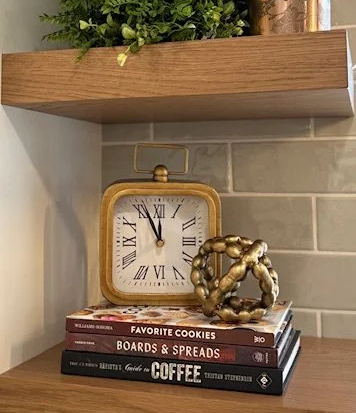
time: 11:55
